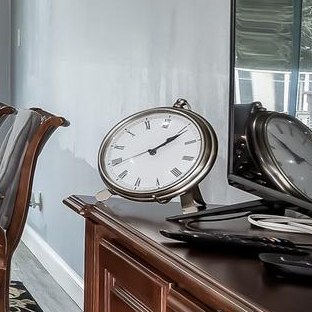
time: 1:06
